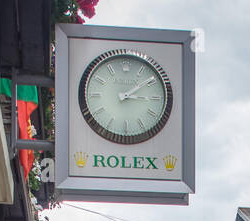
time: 3:09
